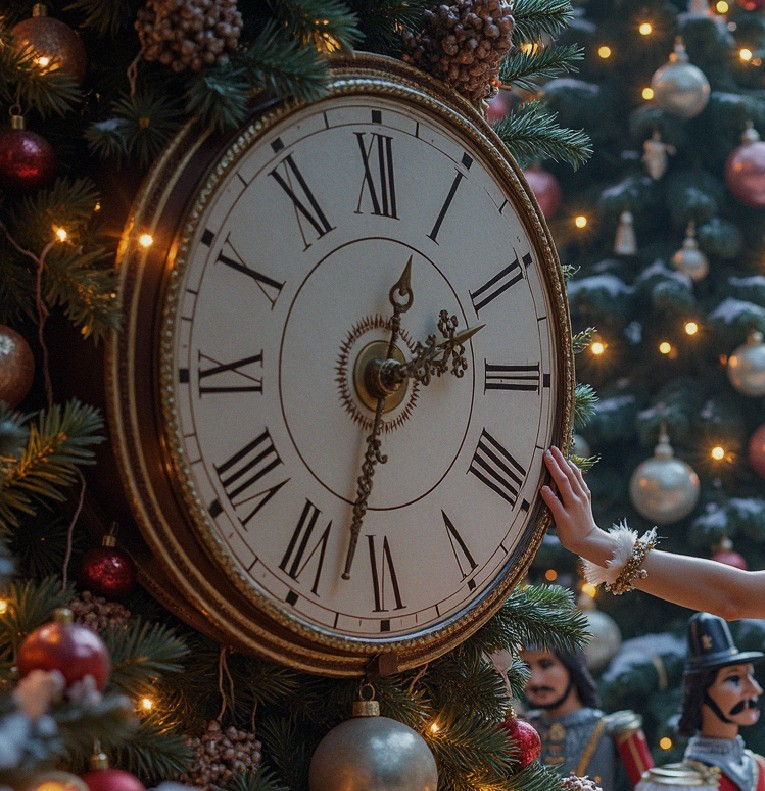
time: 2:32
